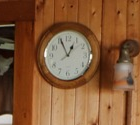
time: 12:55
